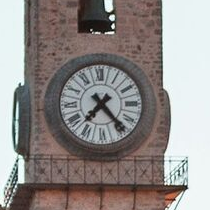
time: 7:23
